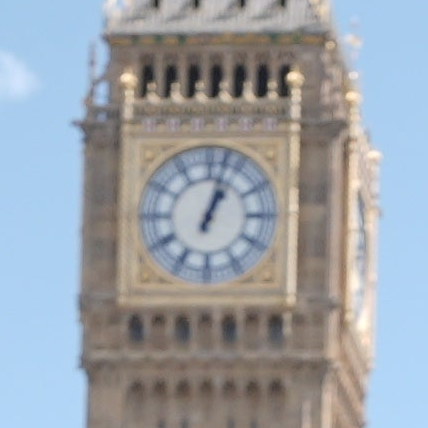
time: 1:02
